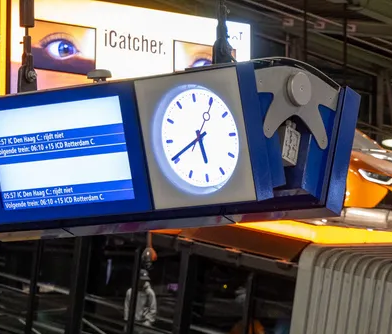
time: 5:40
